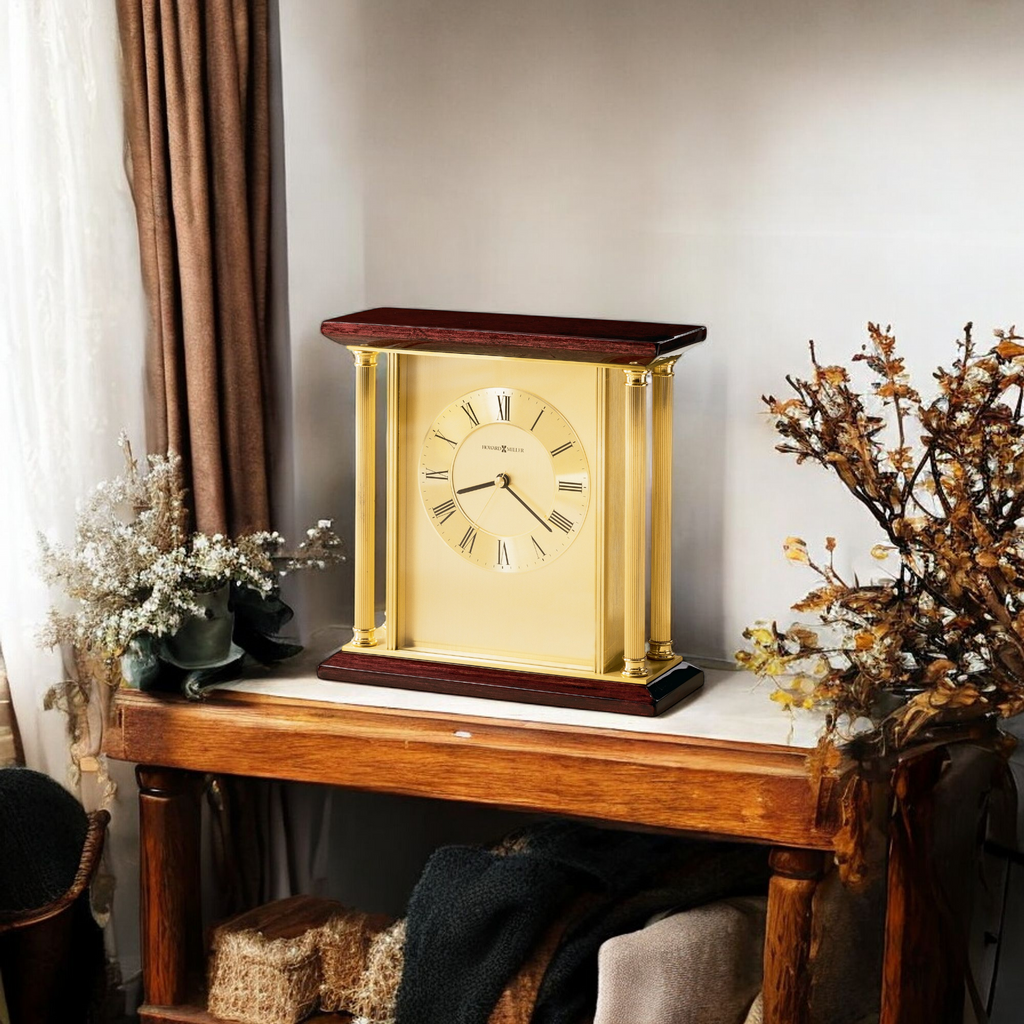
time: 8:20
